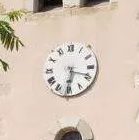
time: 6:18
